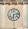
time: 6:13
